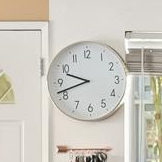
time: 9:42
